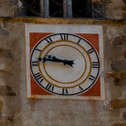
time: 9:46
